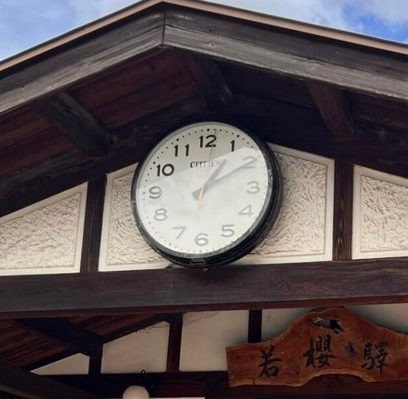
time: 1:09
